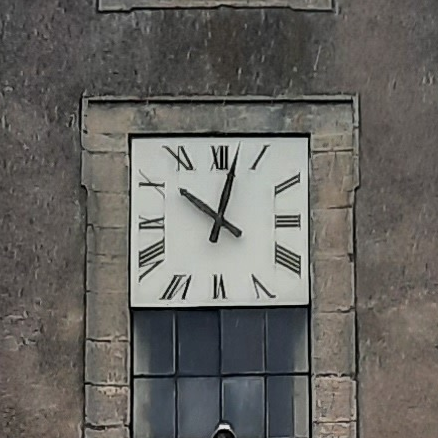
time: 10:02
